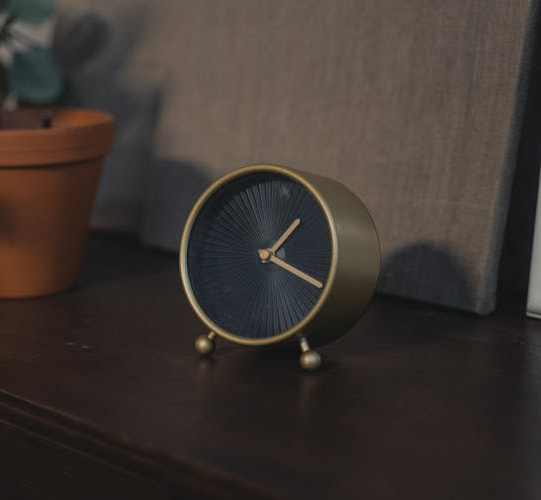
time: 1:19
